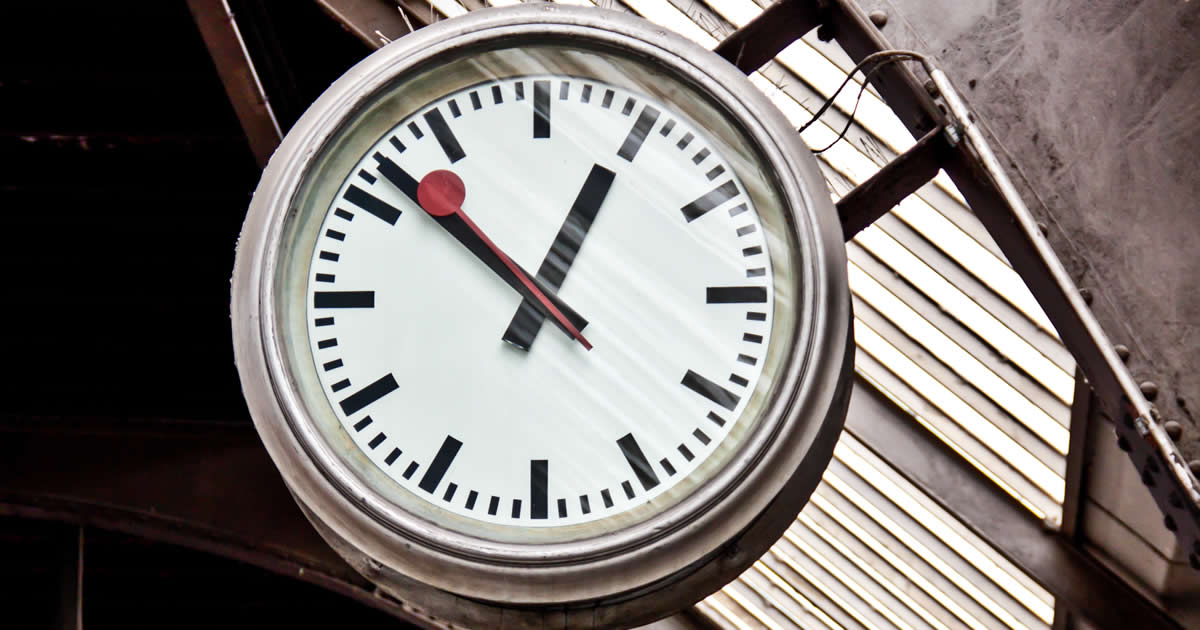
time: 12:52
